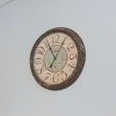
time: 11:04
